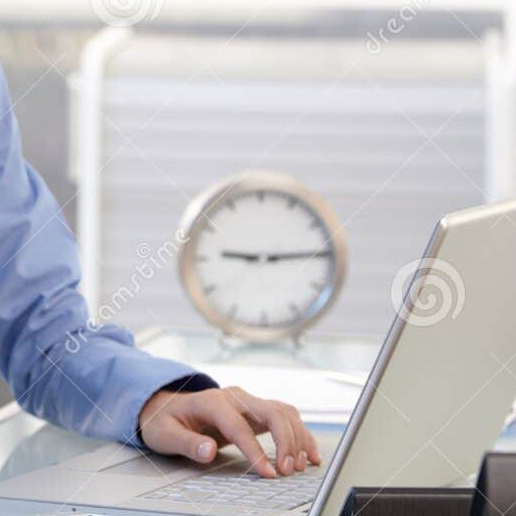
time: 9:14
